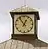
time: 12:53
